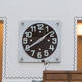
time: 1:39
